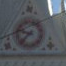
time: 9:38
